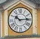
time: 10:14
